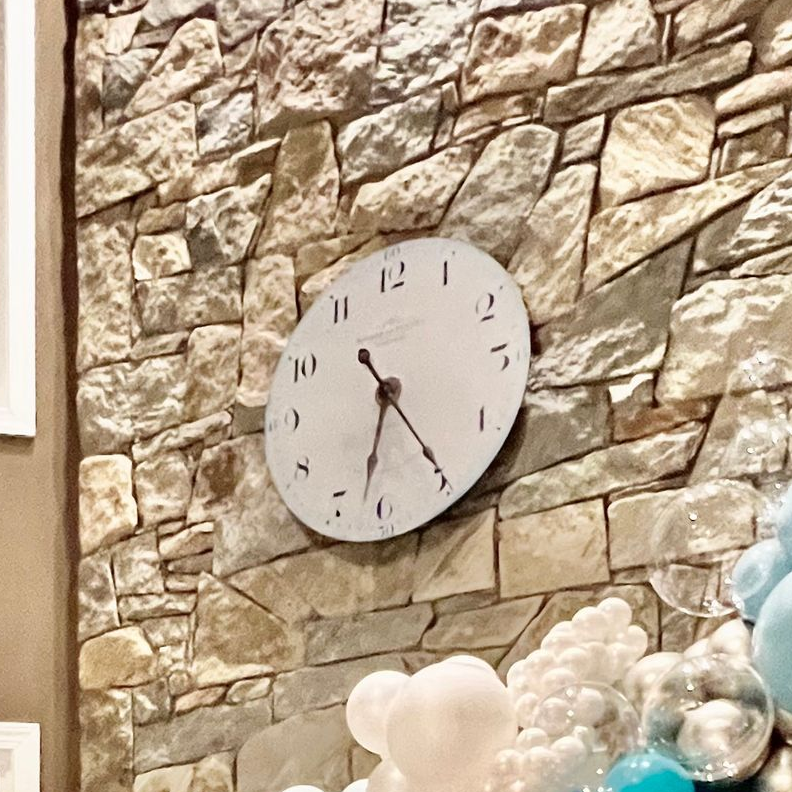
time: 6:24
